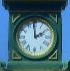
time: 1:59
